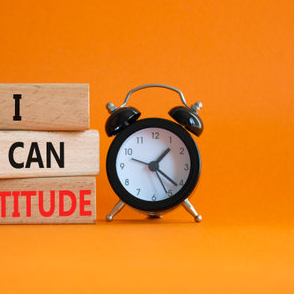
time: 1:21
